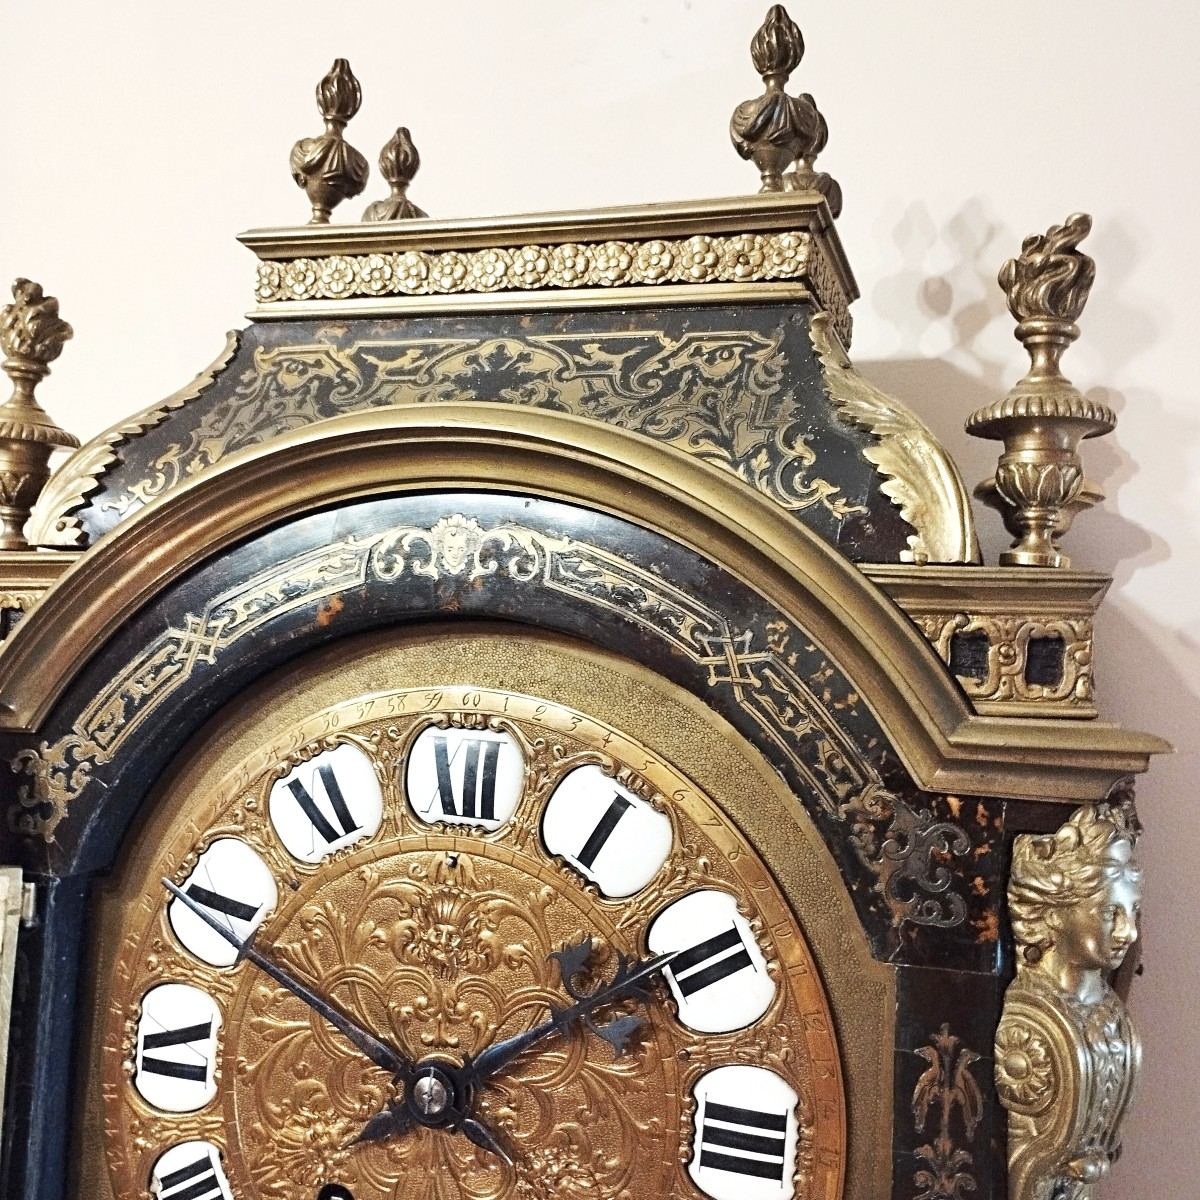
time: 1:50
